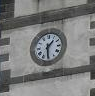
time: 1:29
